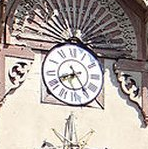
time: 8:24
